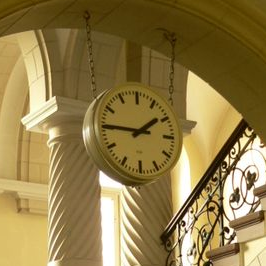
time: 1:45
